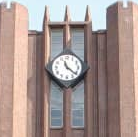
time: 11:21
